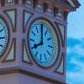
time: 7:59
